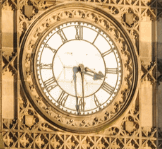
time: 3:29
